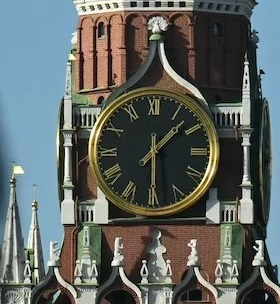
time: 1:29
